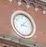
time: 3:07
